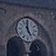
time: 4:59
